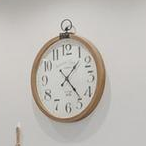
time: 1:23
